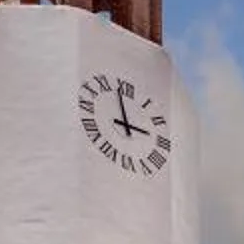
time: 2:58
